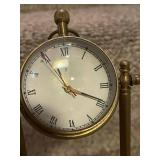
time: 11:18
